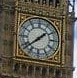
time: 1:38
